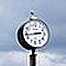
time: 2:42
